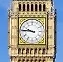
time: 9:45
